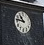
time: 10:46
